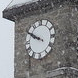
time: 9:50
